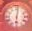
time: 6:01
